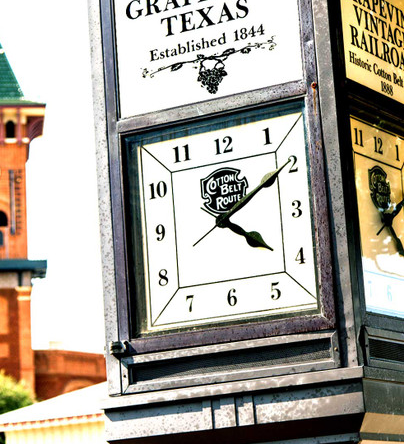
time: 4:09
